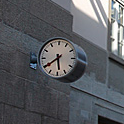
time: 5:39
